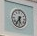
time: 5:35
